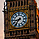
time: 8:36
